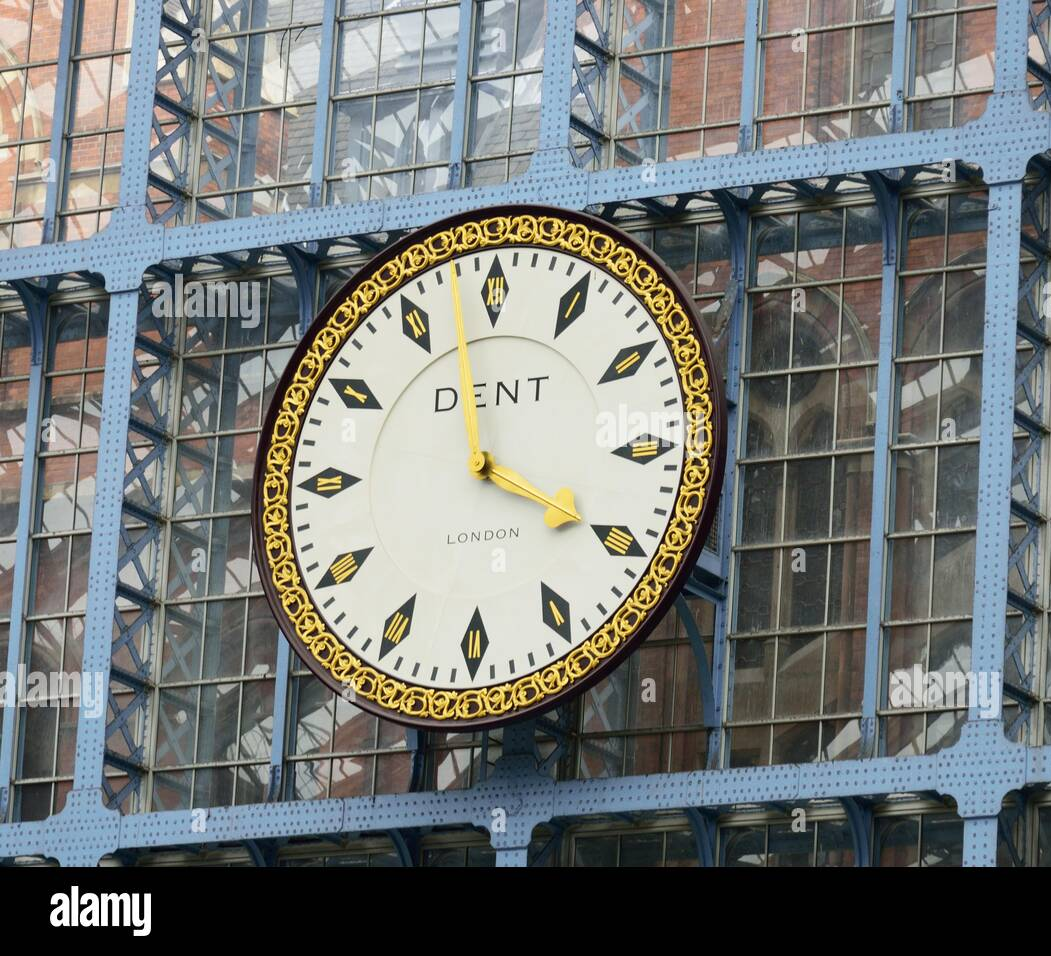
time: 3:58
